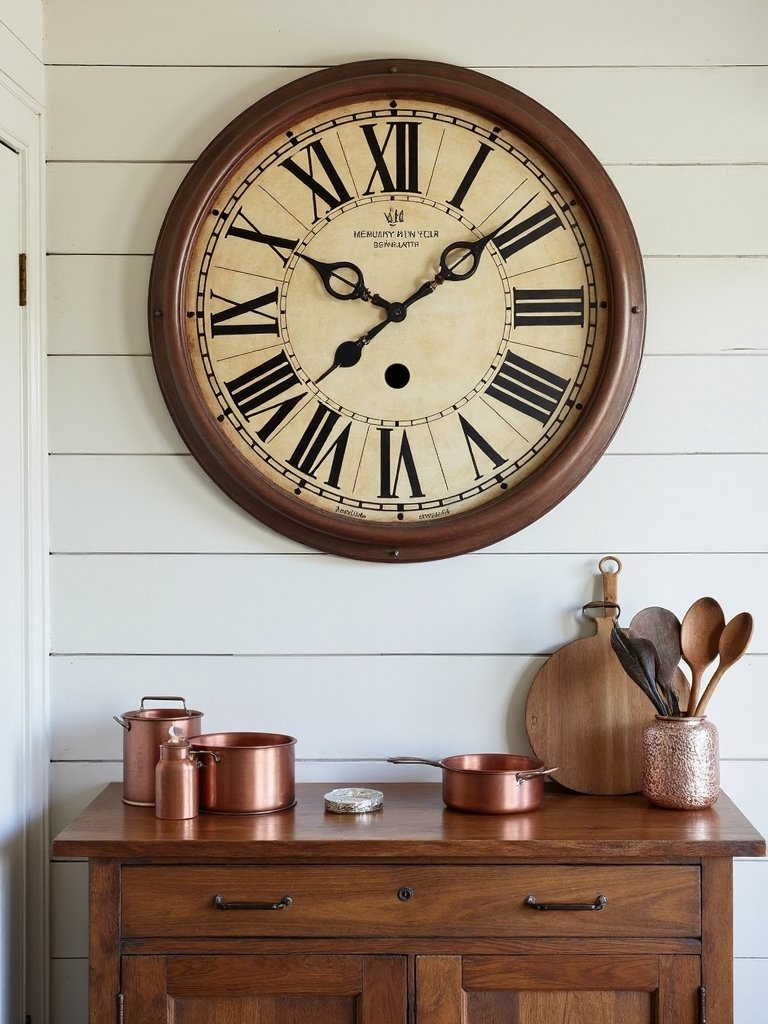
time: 10:08
